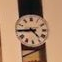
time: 4:44
